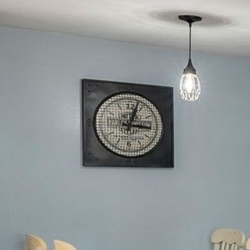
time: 3:03
